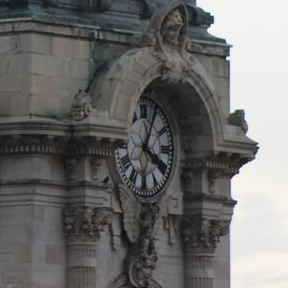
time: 4:04
